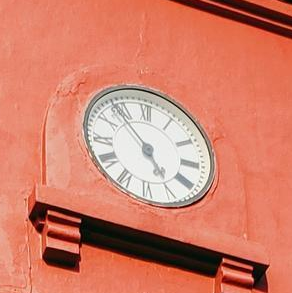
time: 4:53
